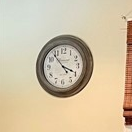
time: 3:53
